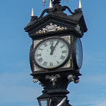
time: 12:04
